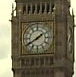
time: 1:40
